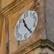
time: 11:22
